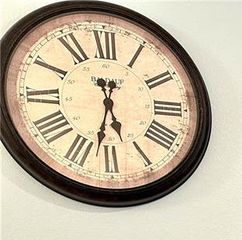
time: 5:32
